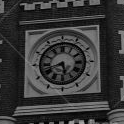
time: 5:42
